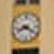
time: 8:20
